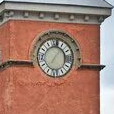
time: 7:06
